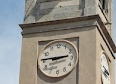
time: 2:45
